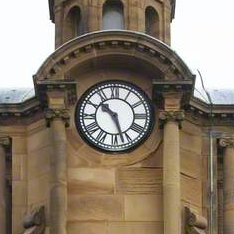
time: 10:27
